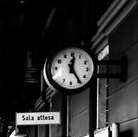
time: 12:24
